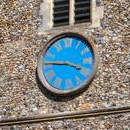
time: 3:45
